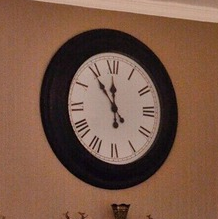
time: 11:54
